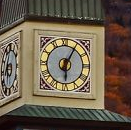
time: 6:05
